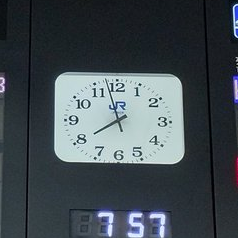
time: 7:57
